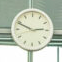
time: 2:48
